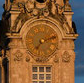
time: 7:11
